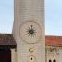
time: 9:01
